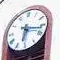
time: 6:17
